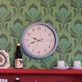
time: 9:41
